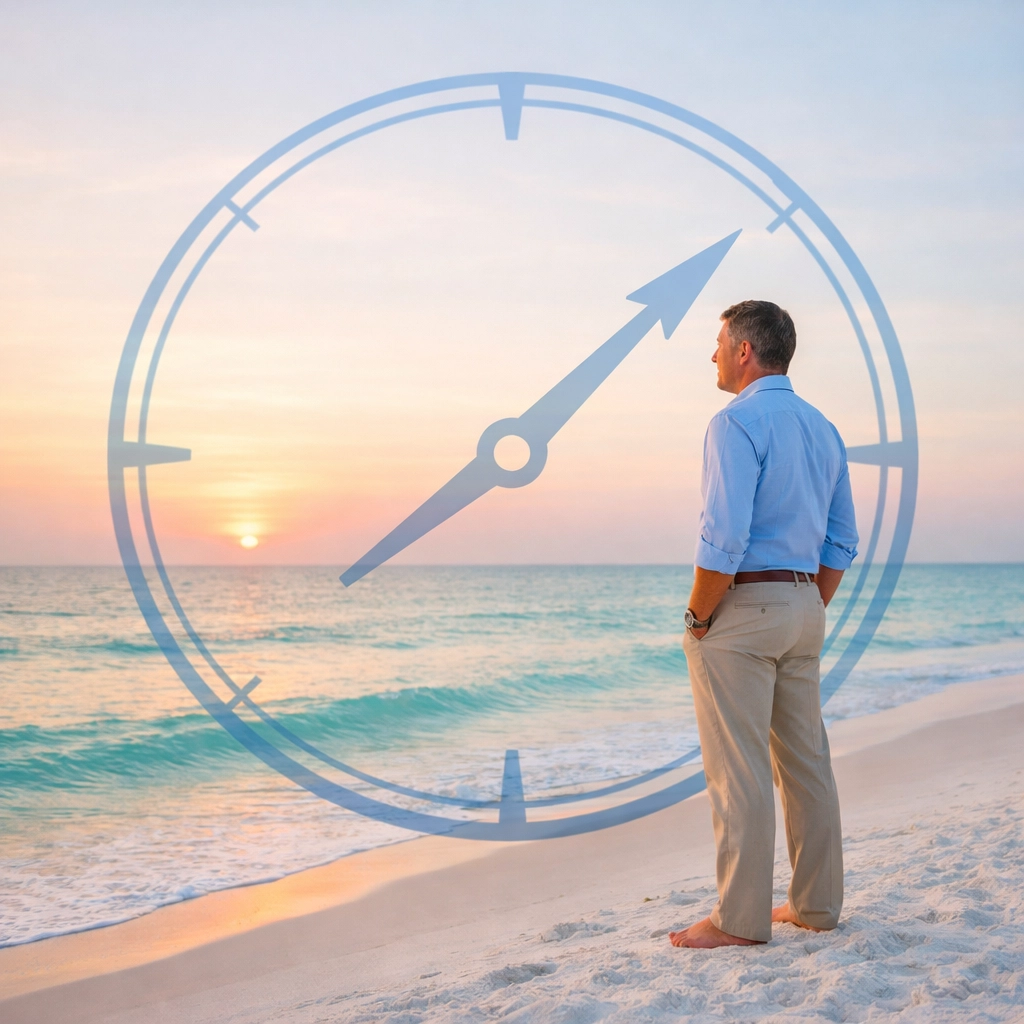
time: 8:07
